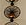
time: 7:25
